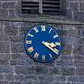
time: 3:20
